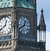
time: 12:40
